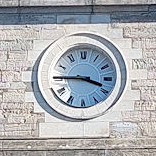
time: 3:45
